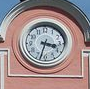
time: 3:32
